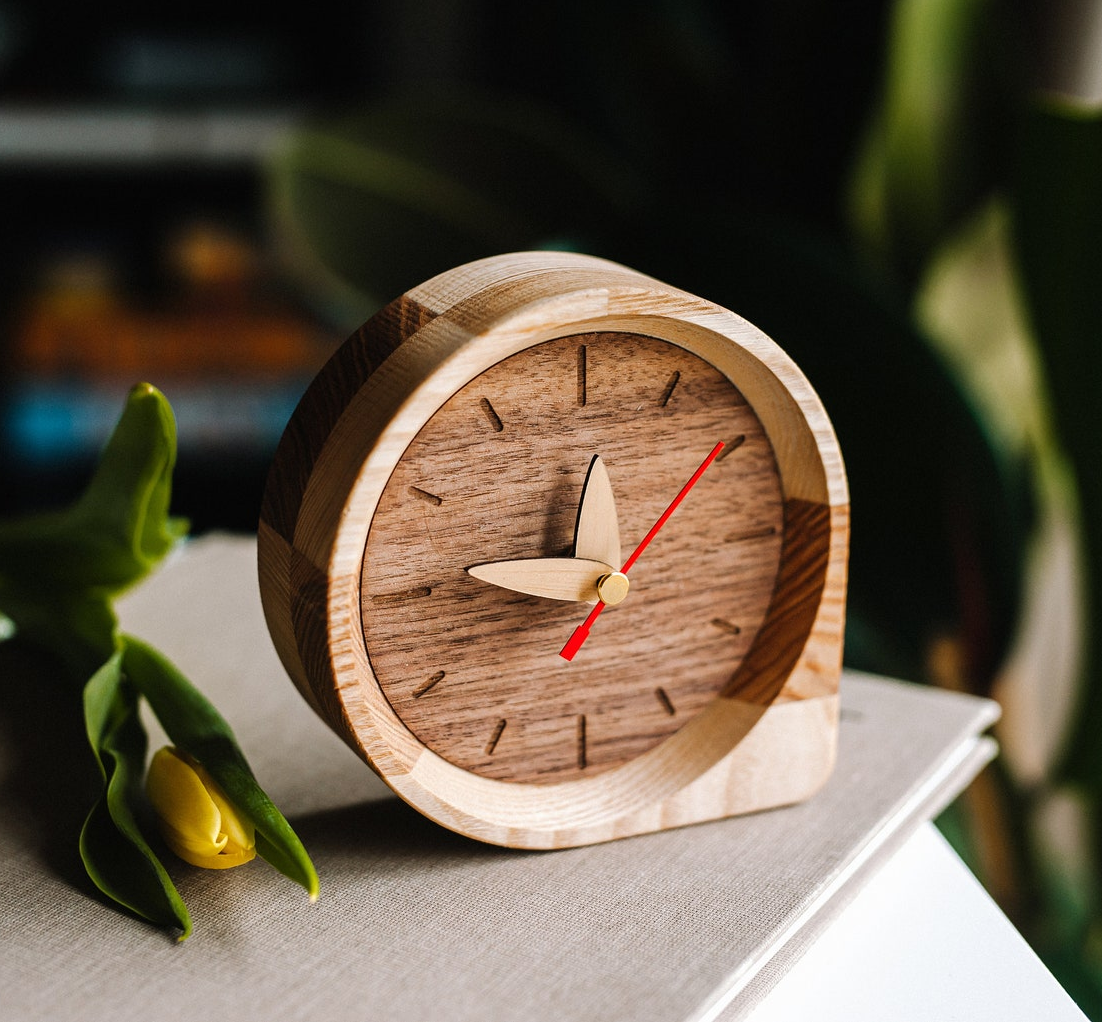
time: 11:46
